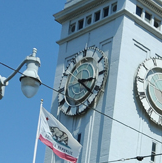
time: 3:21
